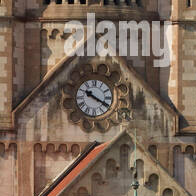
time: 10:19
